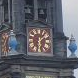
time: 1:28
